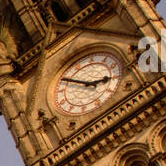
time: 2:48
